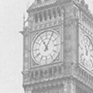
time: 11:04
